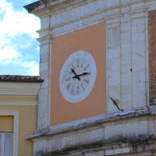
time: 10:13
